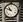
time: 10:48
